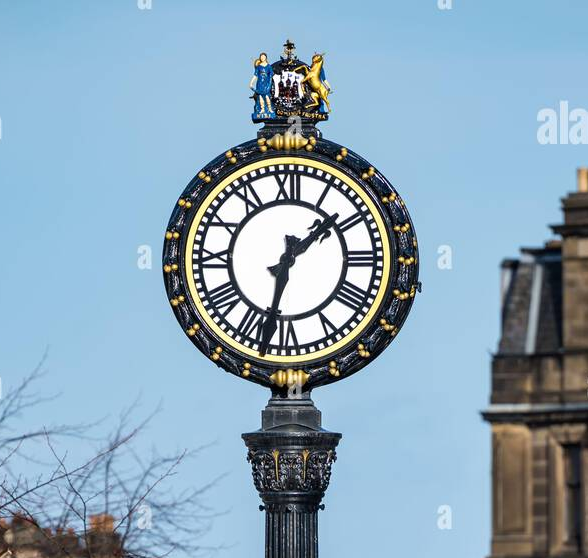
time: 1:32
